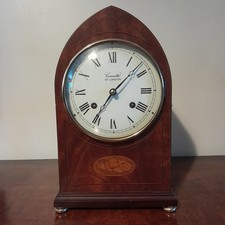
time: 7:07
